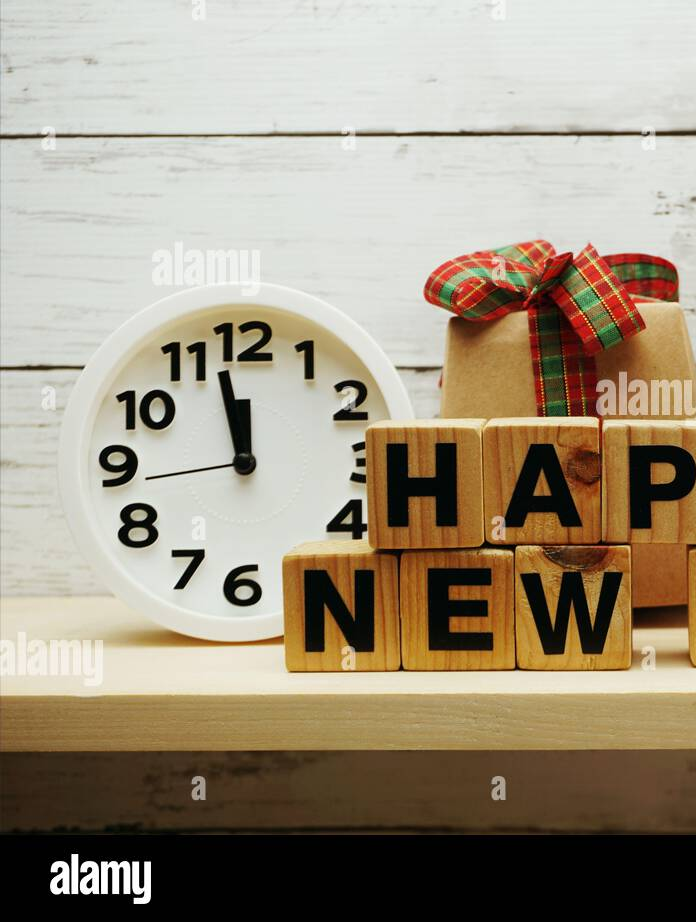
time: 11:57
